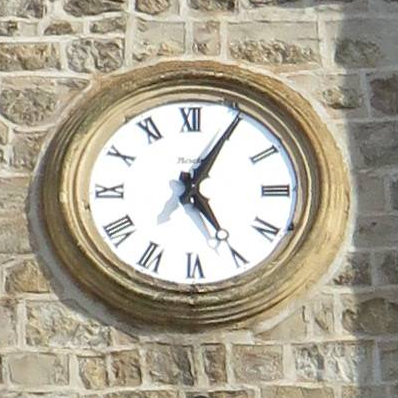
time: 5:05
